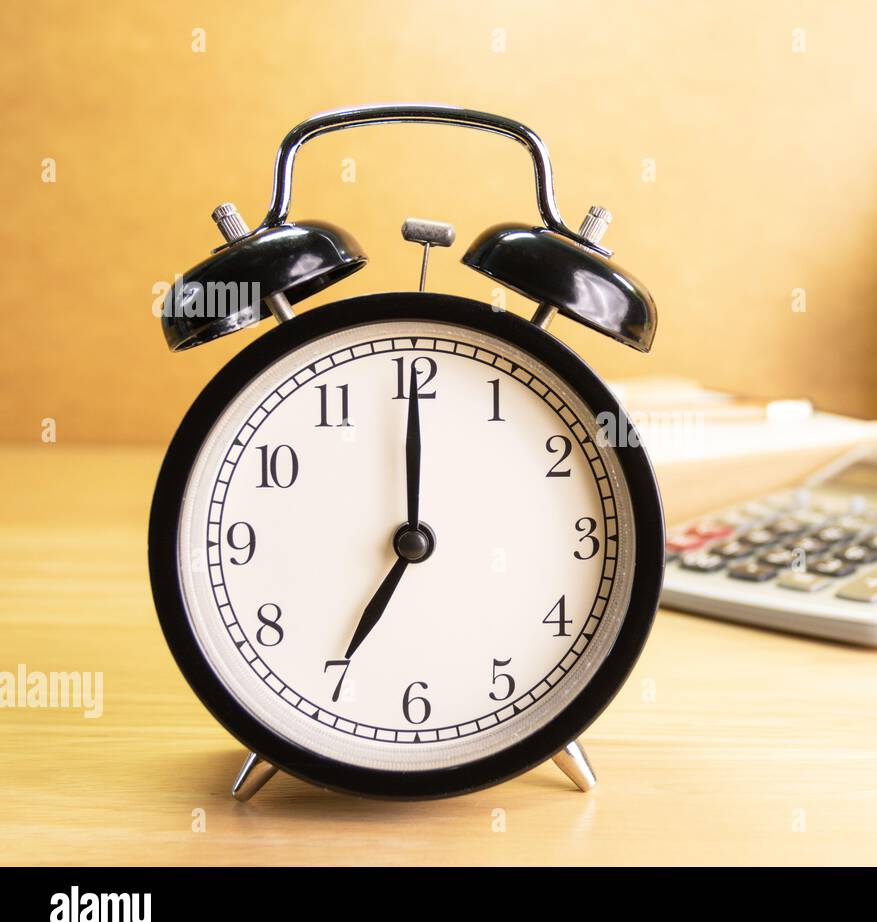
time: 7:00
